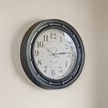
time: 10:13
